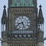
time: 8:27
